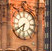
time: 6:39
